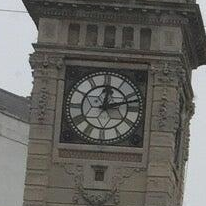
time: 12:12
